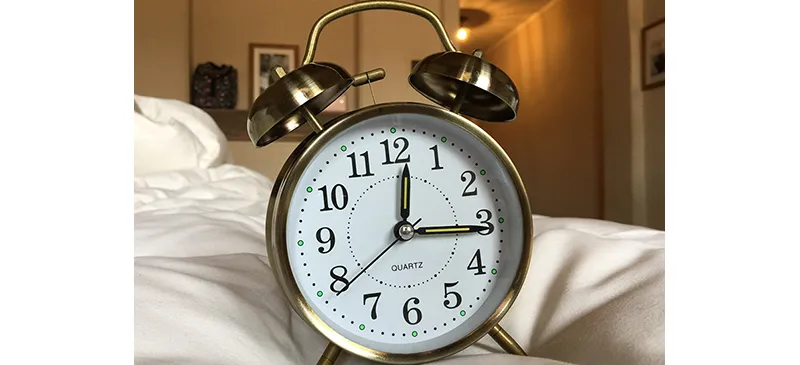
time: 12:15
